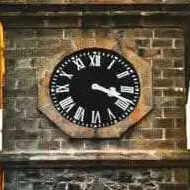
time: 3:18
